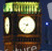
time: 9:35
